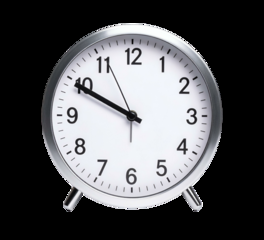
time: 9:49
